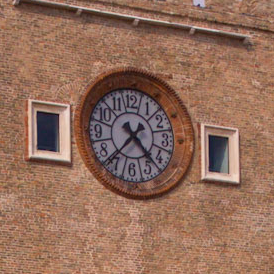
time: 4:37
